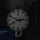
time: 2:48
